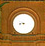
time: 8:48
